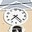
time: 7:23
